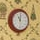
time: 11:01
